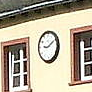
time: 9:09
